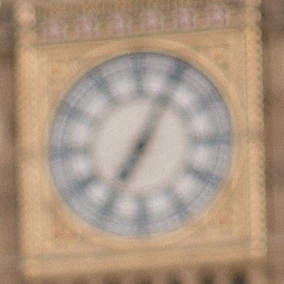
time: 7:04
